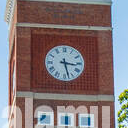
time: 3:27
